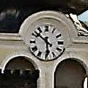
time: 5:51
